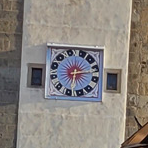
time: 6:13
